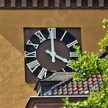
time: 4:00
